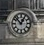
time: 12:52
